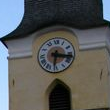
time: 6:16
